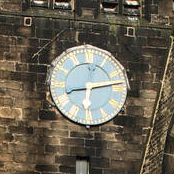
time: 6:13
